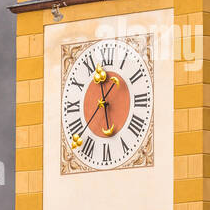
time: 12:57
